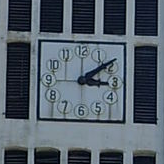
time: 3:09
